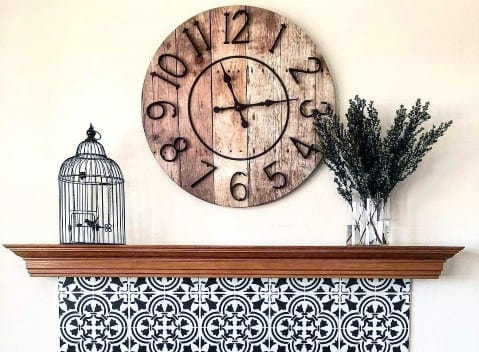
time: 11:13
